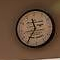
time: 11:35
